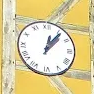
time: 12:06
